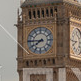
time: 7:45
